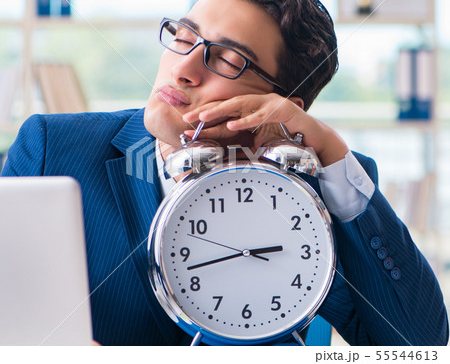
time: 2:42
